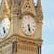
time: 5:26
